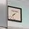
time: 7:07
